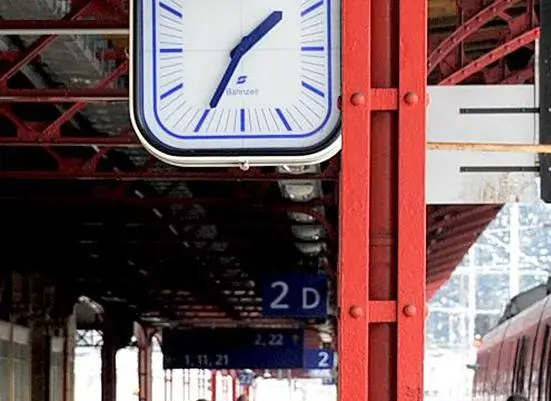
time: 1:34
